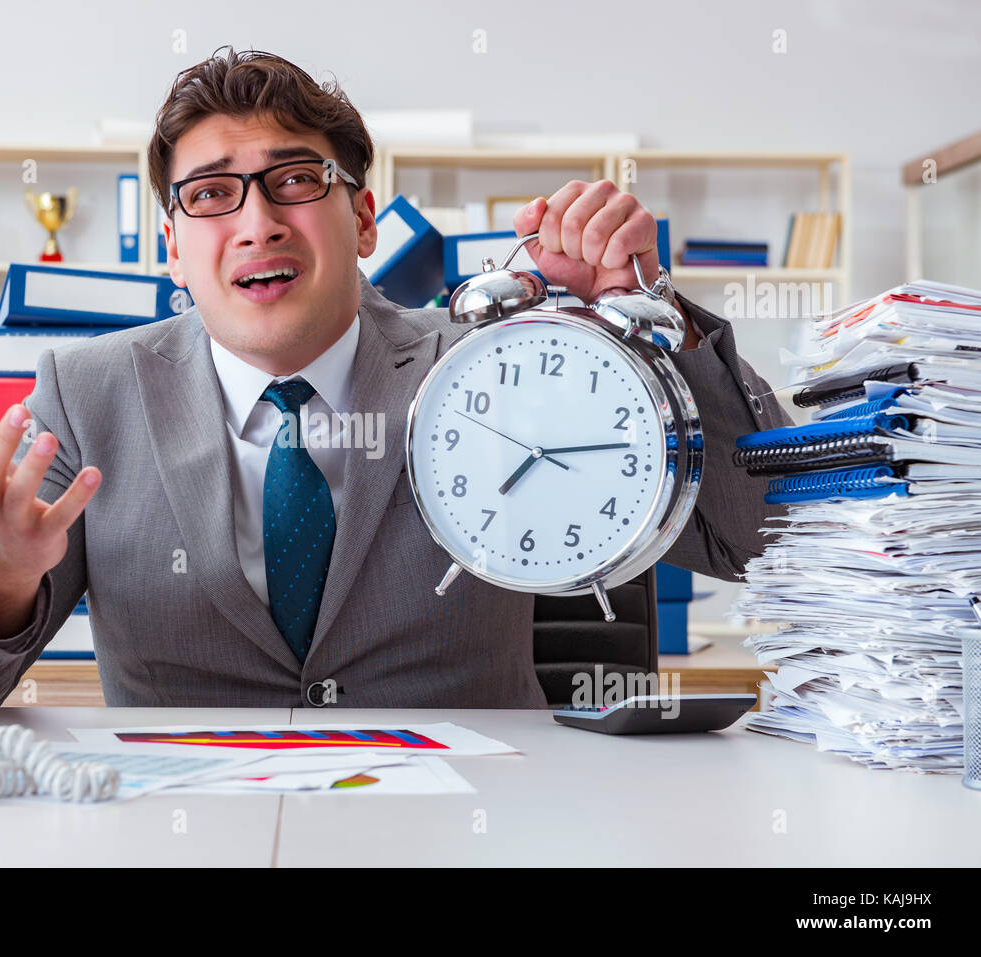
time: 7:13
